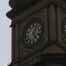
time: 12:23
